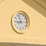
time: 8:56
